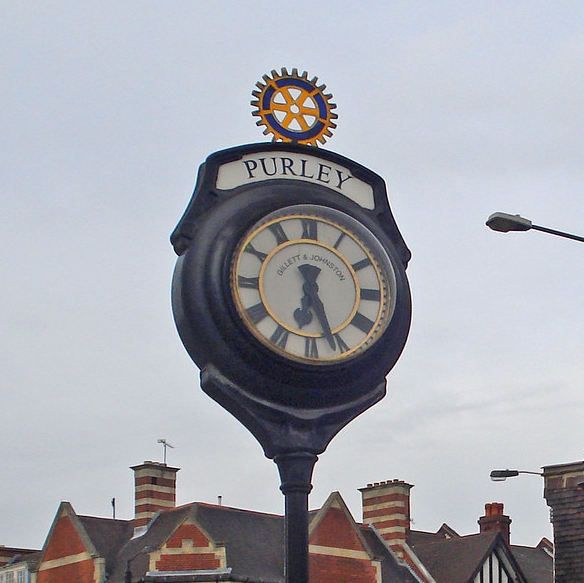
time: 6:26
